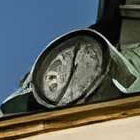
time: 12:34
